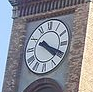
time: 4:19
